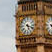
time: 5:18
